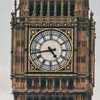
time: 4:43
